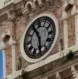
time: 5:55
